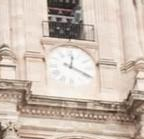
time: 12:19
